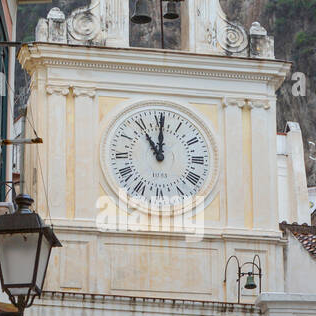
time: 11:00
